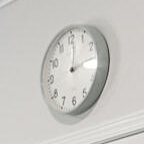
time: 12:14
